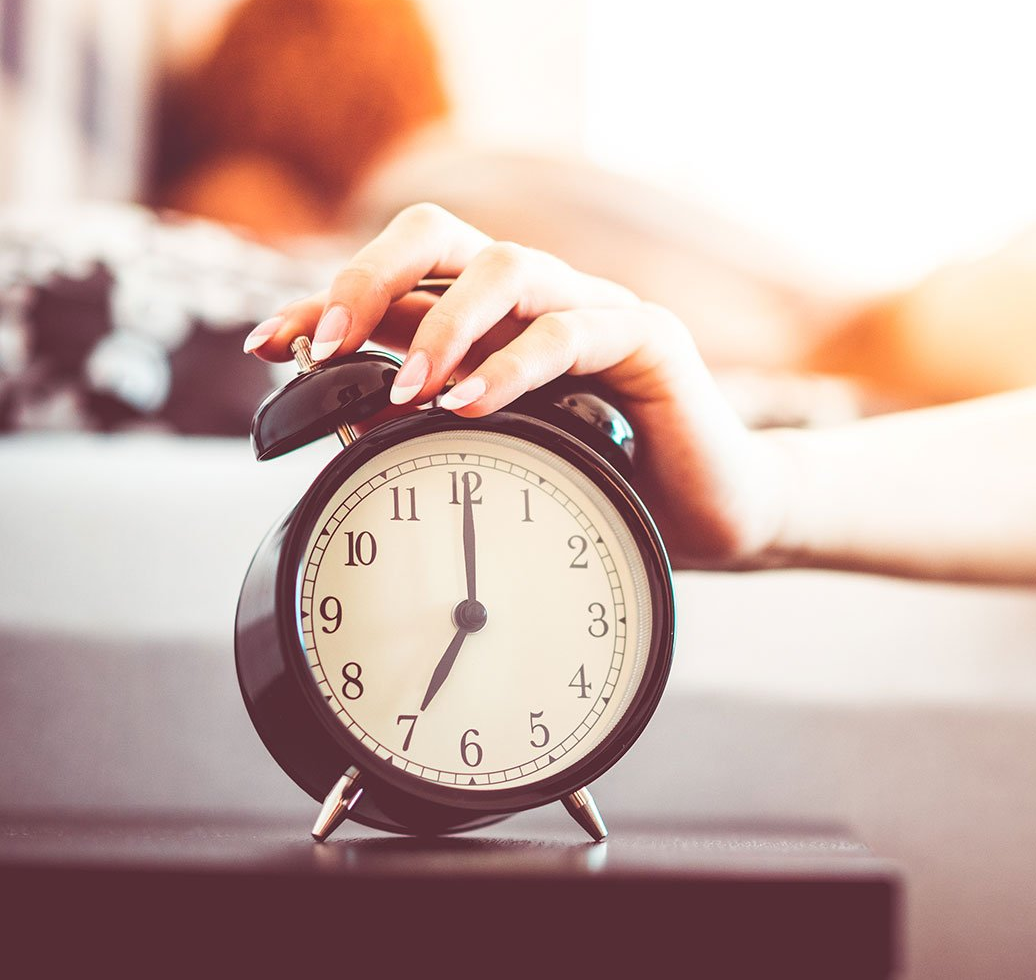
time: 7:00
